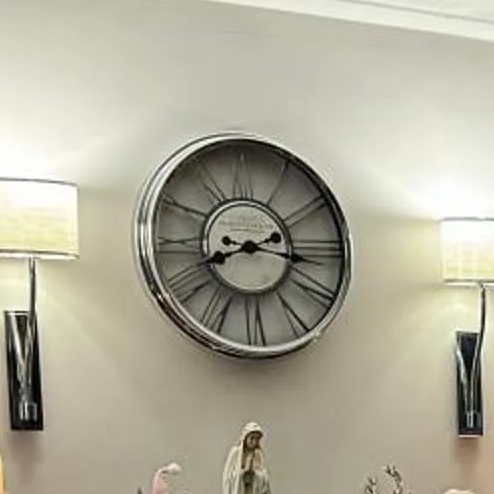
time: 8:16
